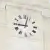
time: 9:02
